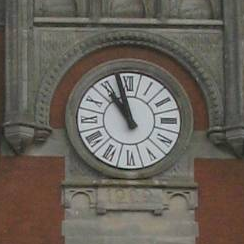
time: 10:57
